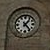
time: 1:23
